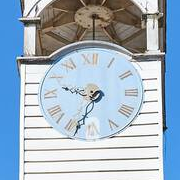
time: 9:33
